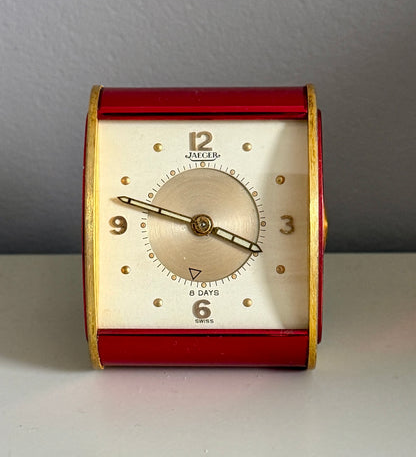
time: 3:47
